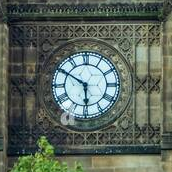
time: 5:50
